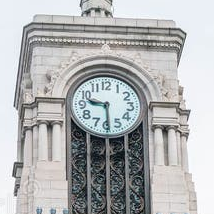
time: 9:29
